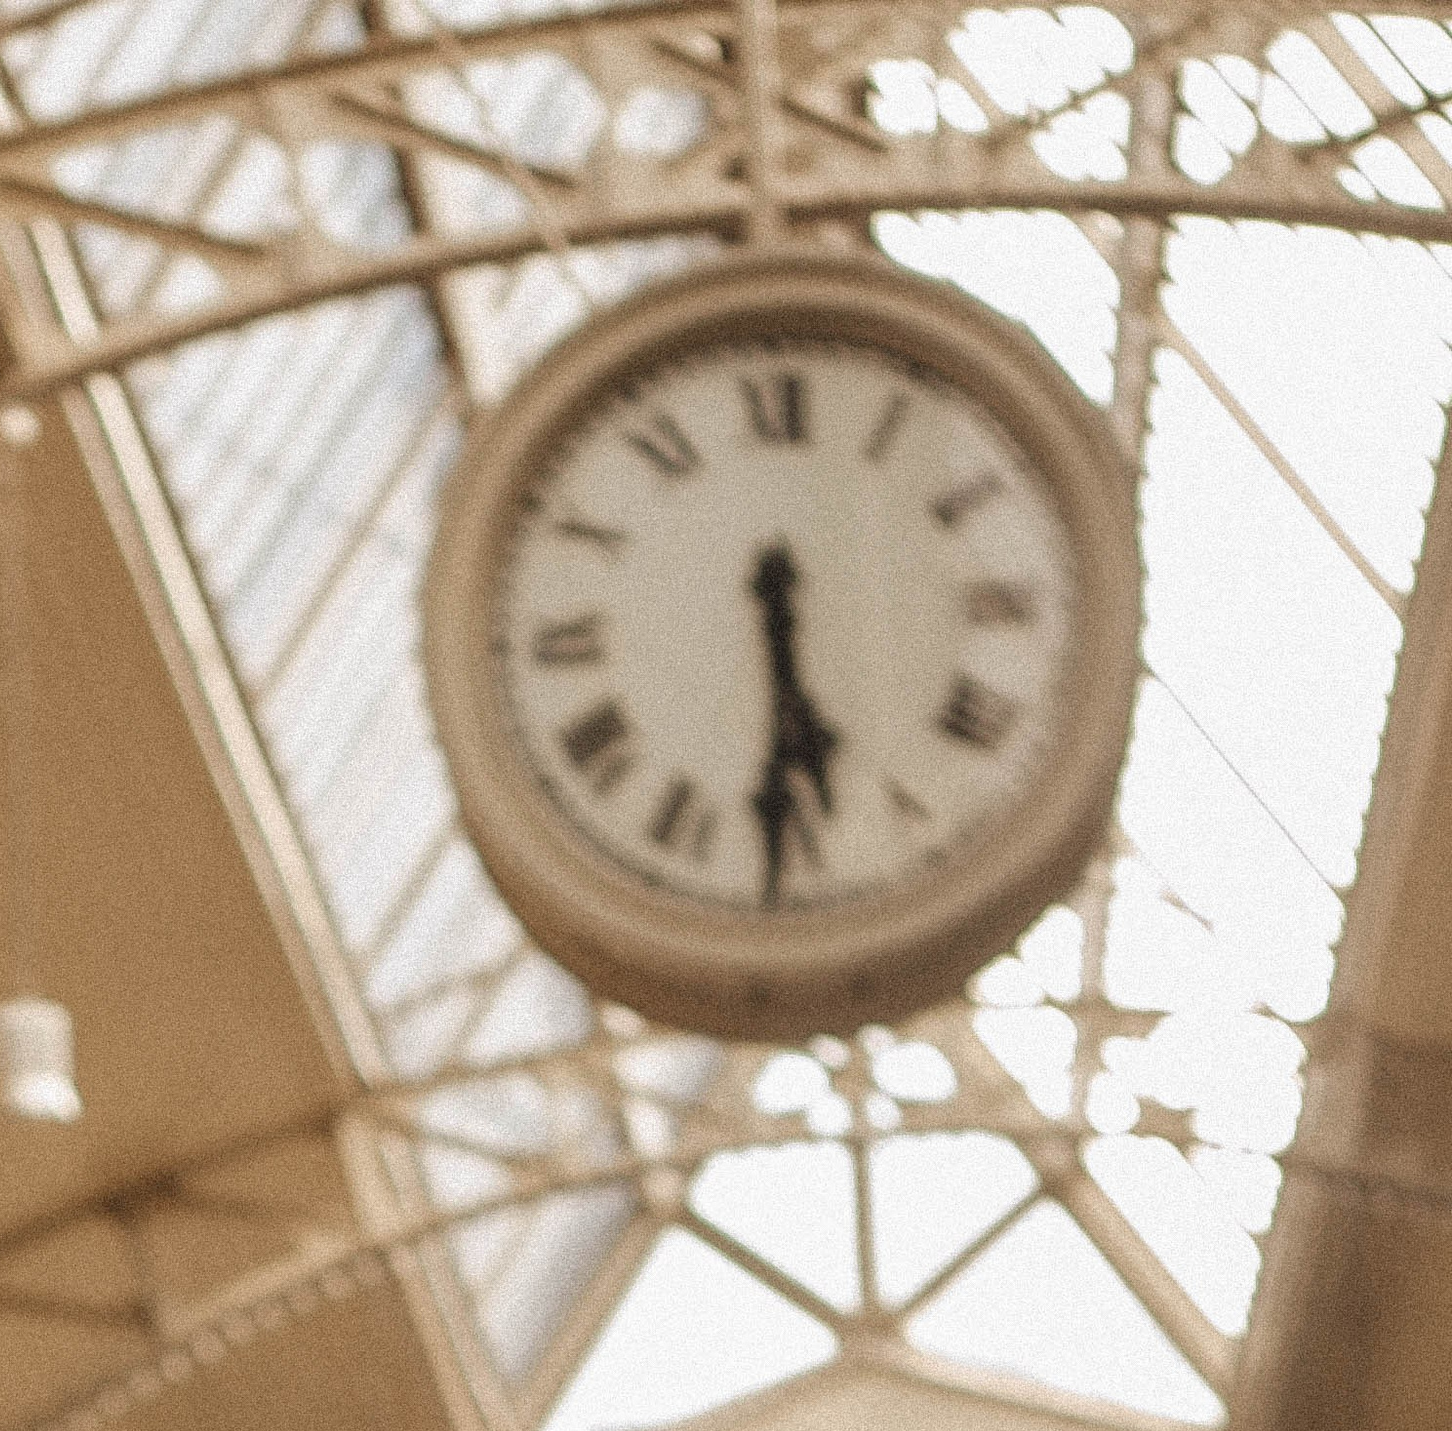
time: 5:30
